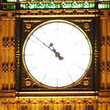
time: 10:51
